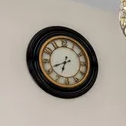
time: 6:41
